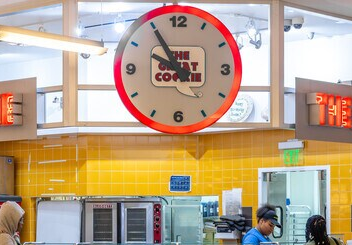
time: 9:54
